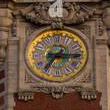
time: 7:15
